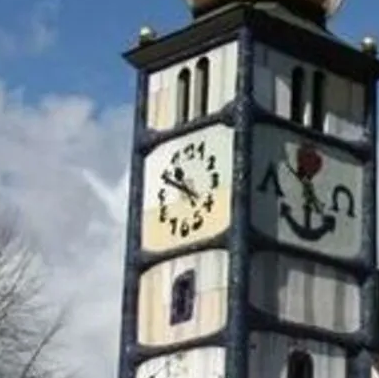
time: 10:49
